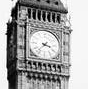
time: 3:37
